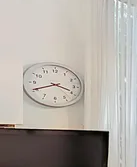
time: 3:40
